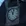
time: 11:02
